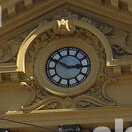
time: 2:50
